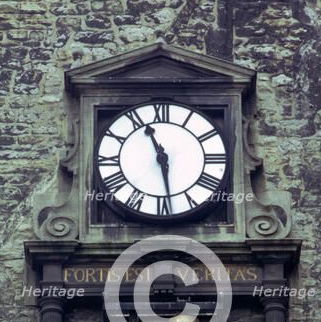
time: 11:28
